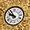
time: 9:54
